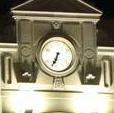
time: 6:34
